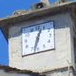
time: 12:32
